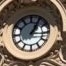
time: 1:16
